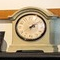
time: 2:09
